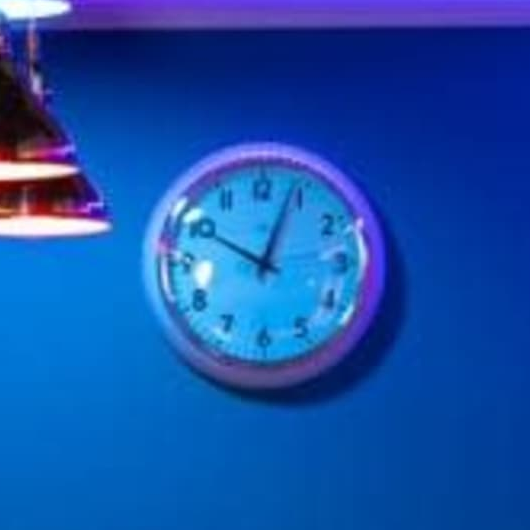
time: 10:03
